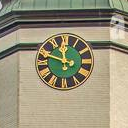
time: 11:48
